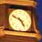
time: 4:49
